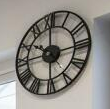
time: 10:14
